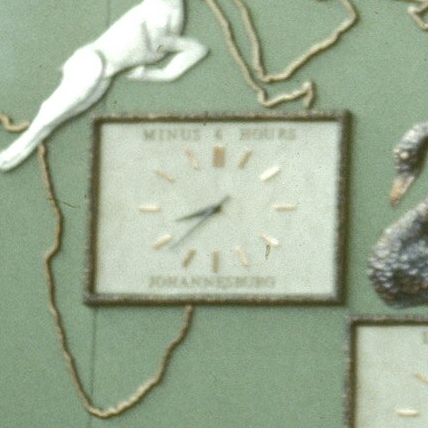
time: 8:38
